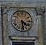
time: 4:29
